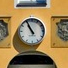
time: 10:55
